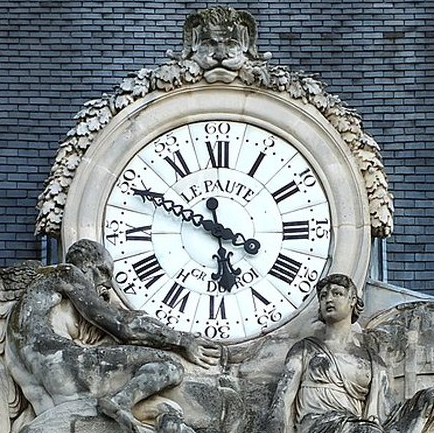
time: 5:49
